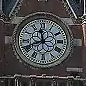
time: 11:41
